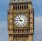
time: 10:45
